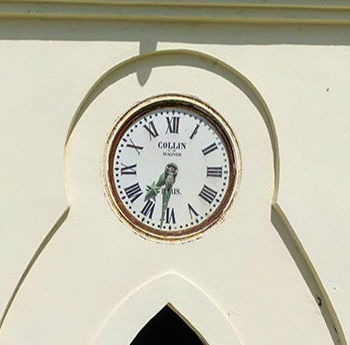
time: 6:36
